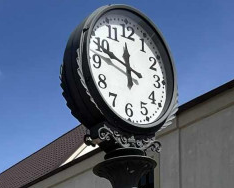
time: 11:47
